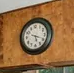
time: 5:18
